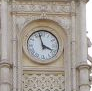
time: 3:58
